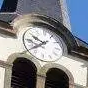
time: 9:38
